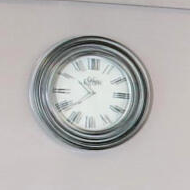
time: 10:37
